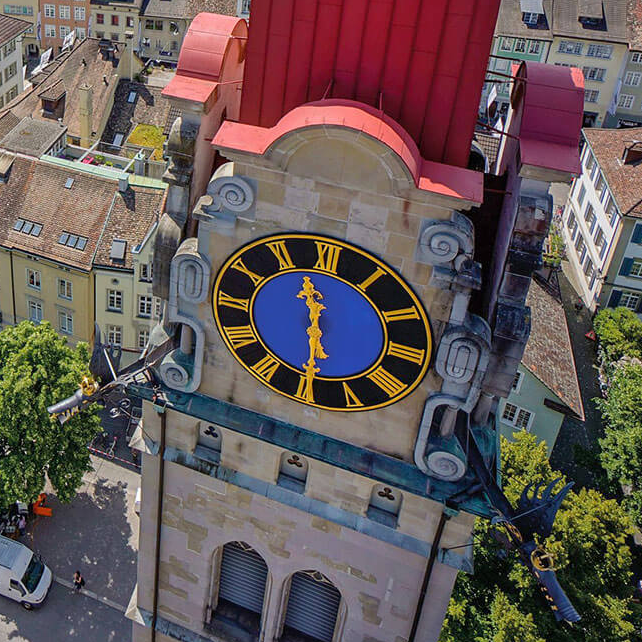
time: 11:29
